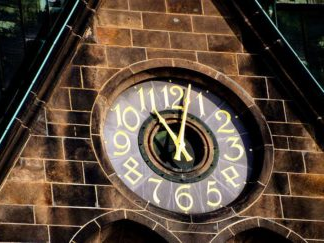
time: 11:02
